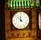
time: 11:52
